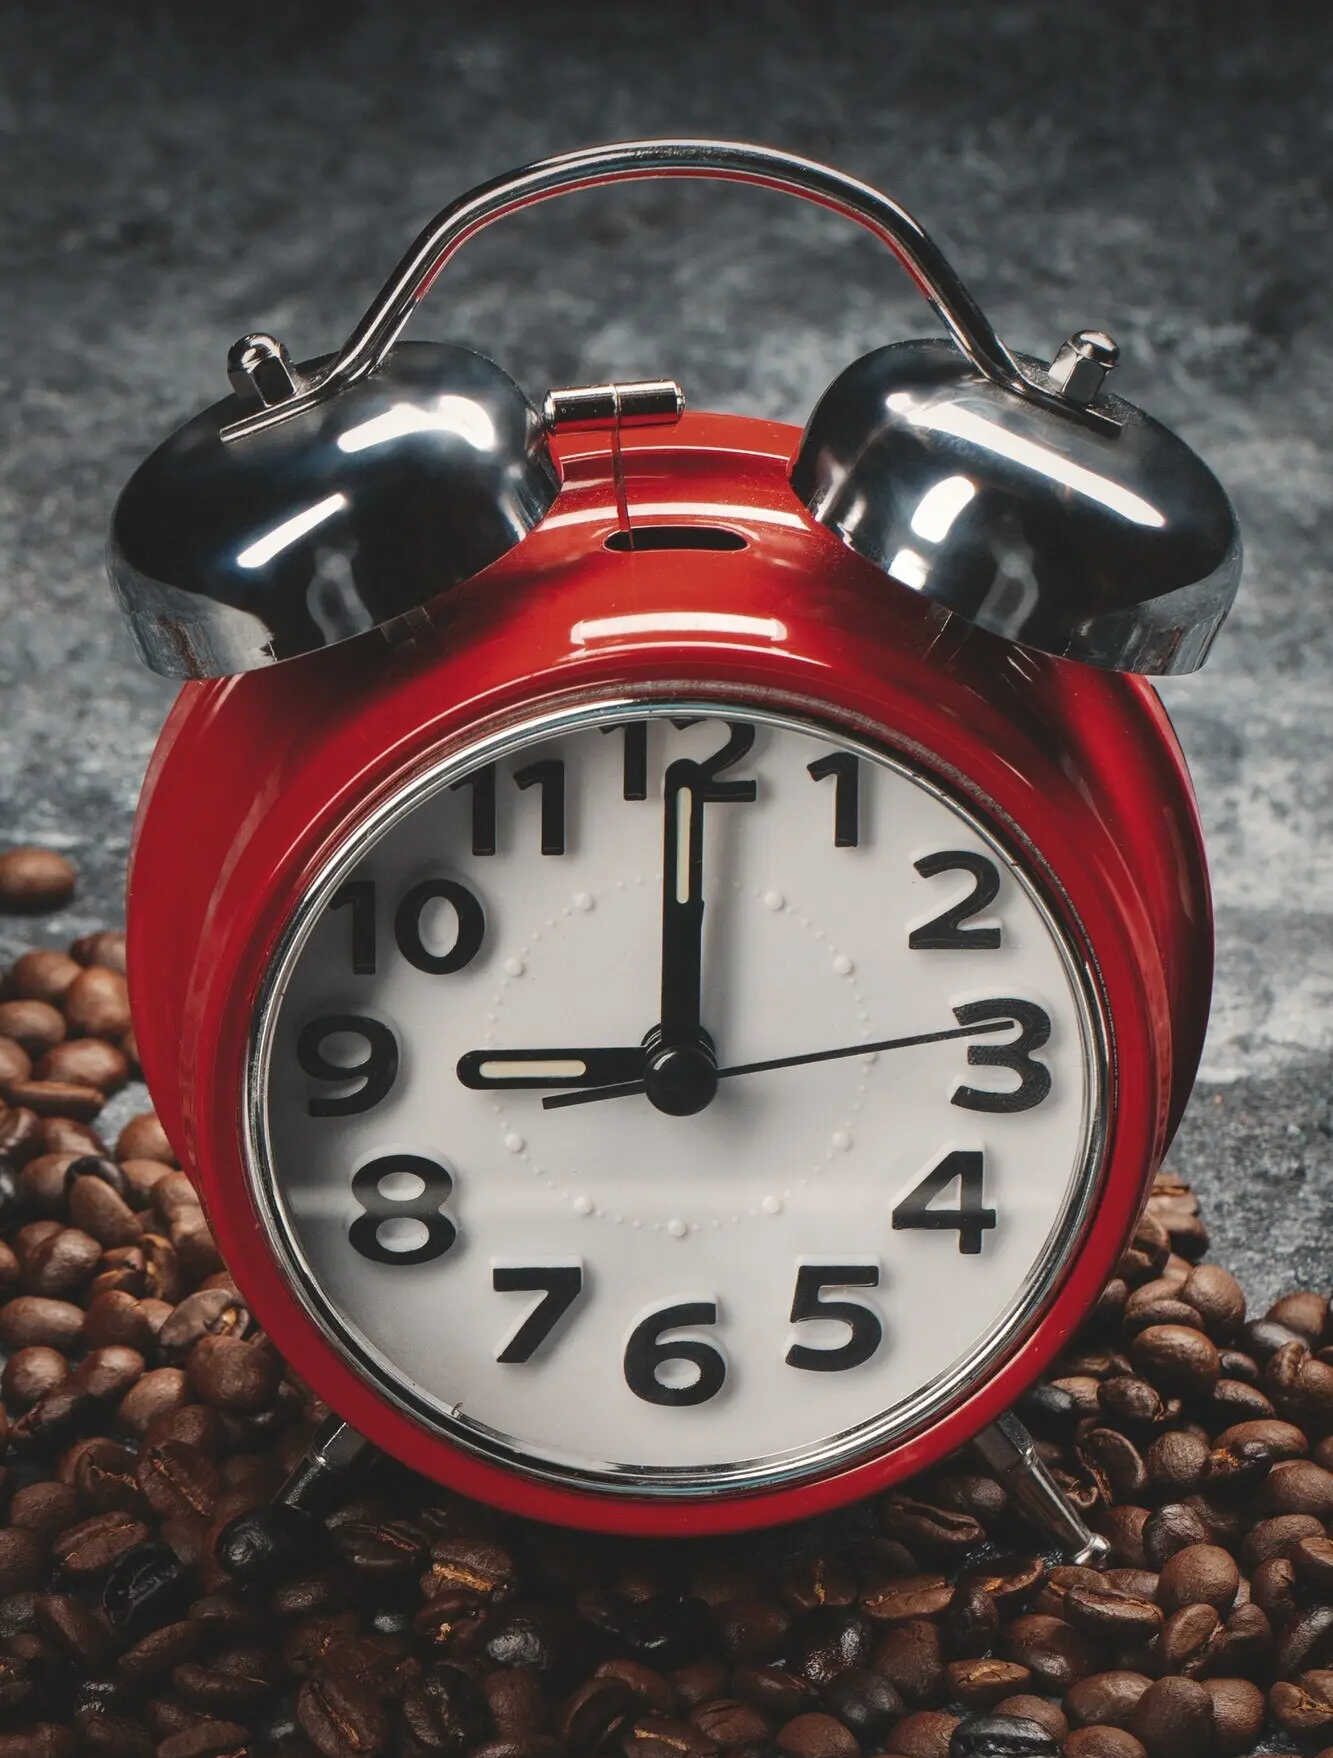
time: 9:00
